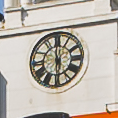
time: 5:59
